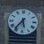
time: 5:36
